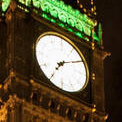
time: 7:09
